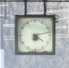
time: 4:12
